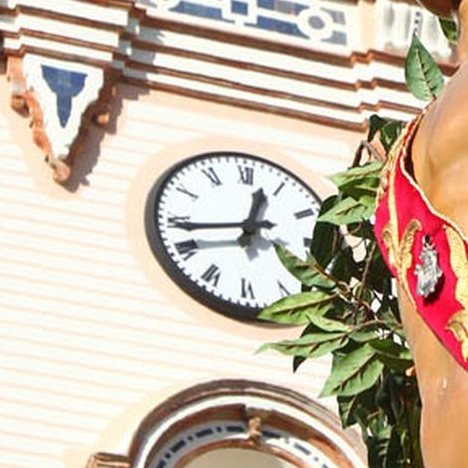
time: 12:43
